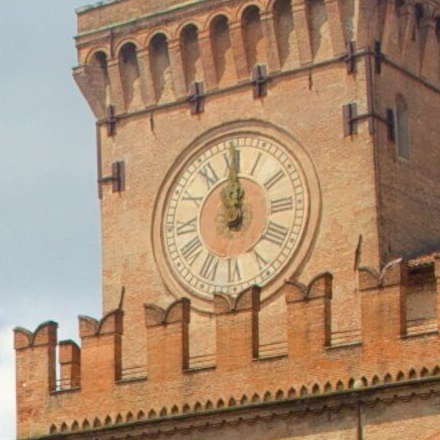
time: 12:00
